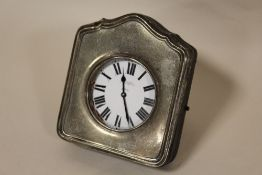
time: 11:25
